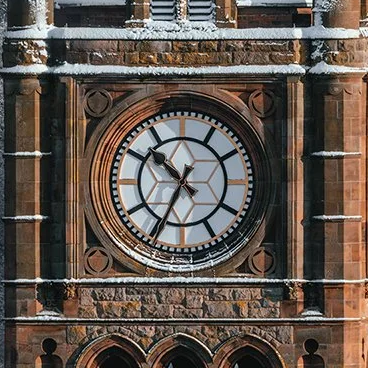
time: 10:34
